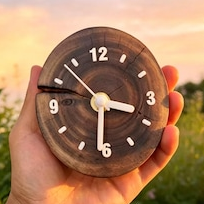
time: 3:31
